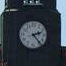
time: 2:23
